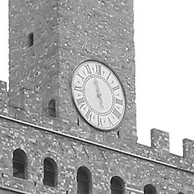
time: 4:57
